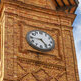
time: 4:45
